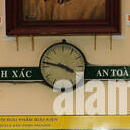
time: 3:46
